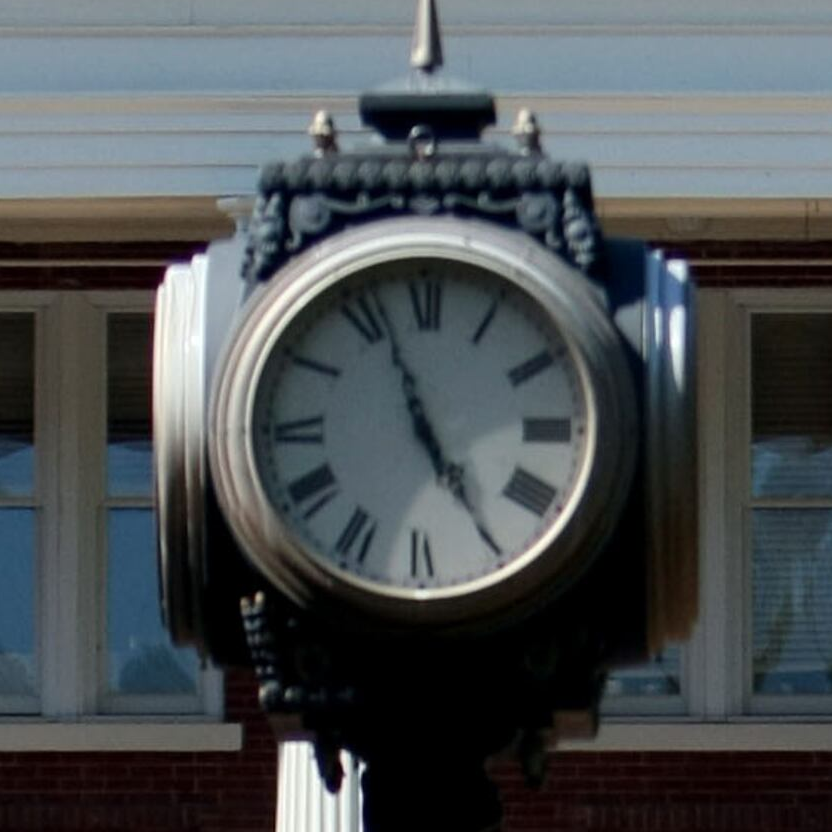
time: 4:56
